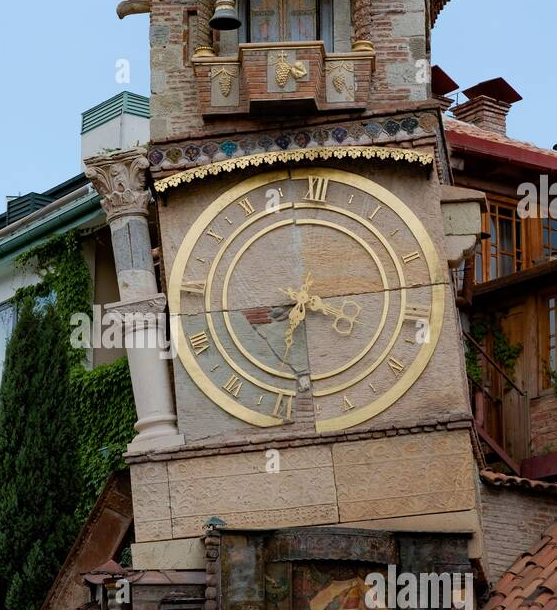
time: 7:58
